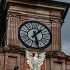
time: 1:28
